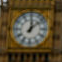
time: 12:08
